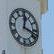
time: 12:18
